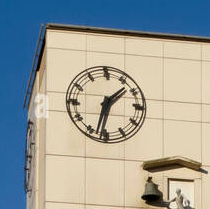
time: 1:32
